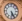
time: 5:24
